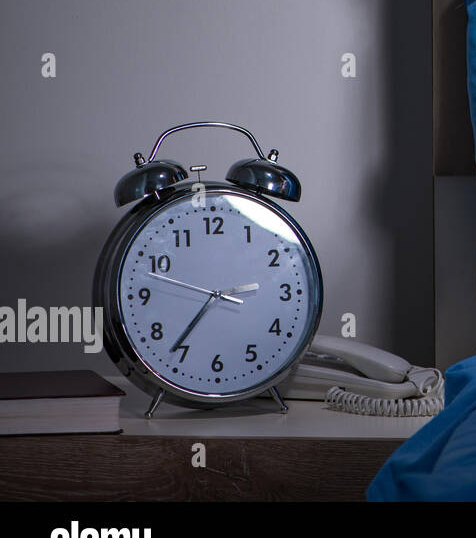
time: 3:35
